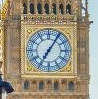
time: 7:05
